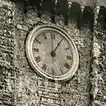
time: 1:00
